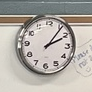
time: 2:06
